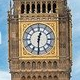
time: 12:30
